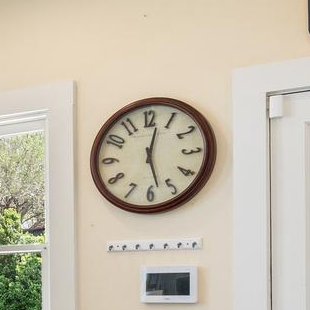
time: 12:27
